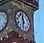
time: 11:32
